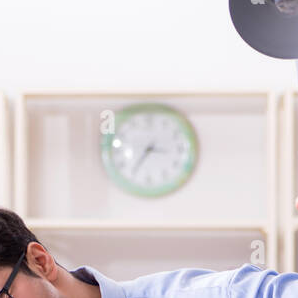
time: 7:16
